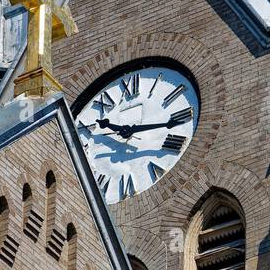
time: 10:16
